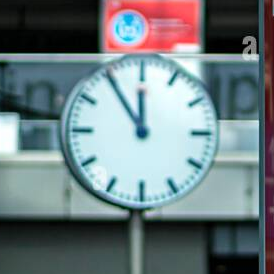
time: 11:54
